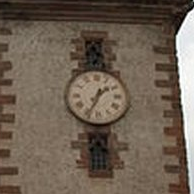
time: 1:34
